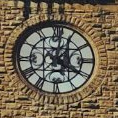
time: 4:01
